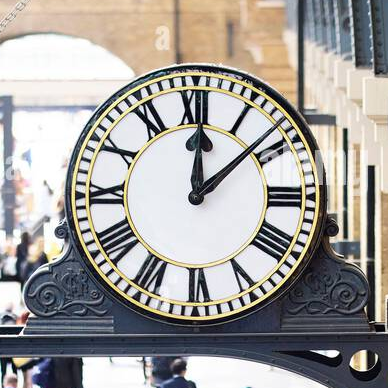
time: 12:08
